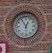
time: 12:55
